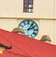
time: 2:06
